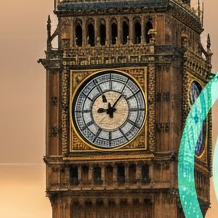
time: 9:06
